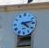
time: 4:12
